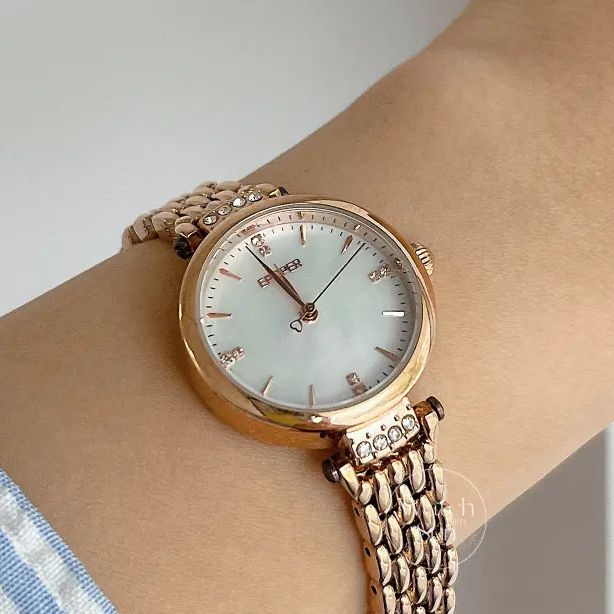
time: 10:53
